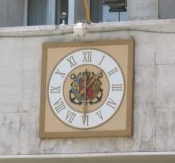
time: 12:07
